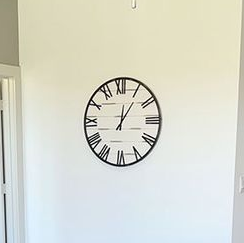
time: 12:05
